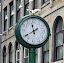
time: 11:39
